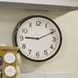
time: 9:10
